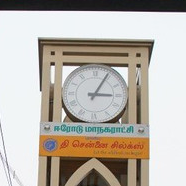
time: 3:04
